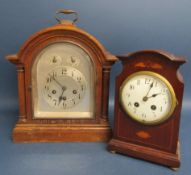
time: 2:04
